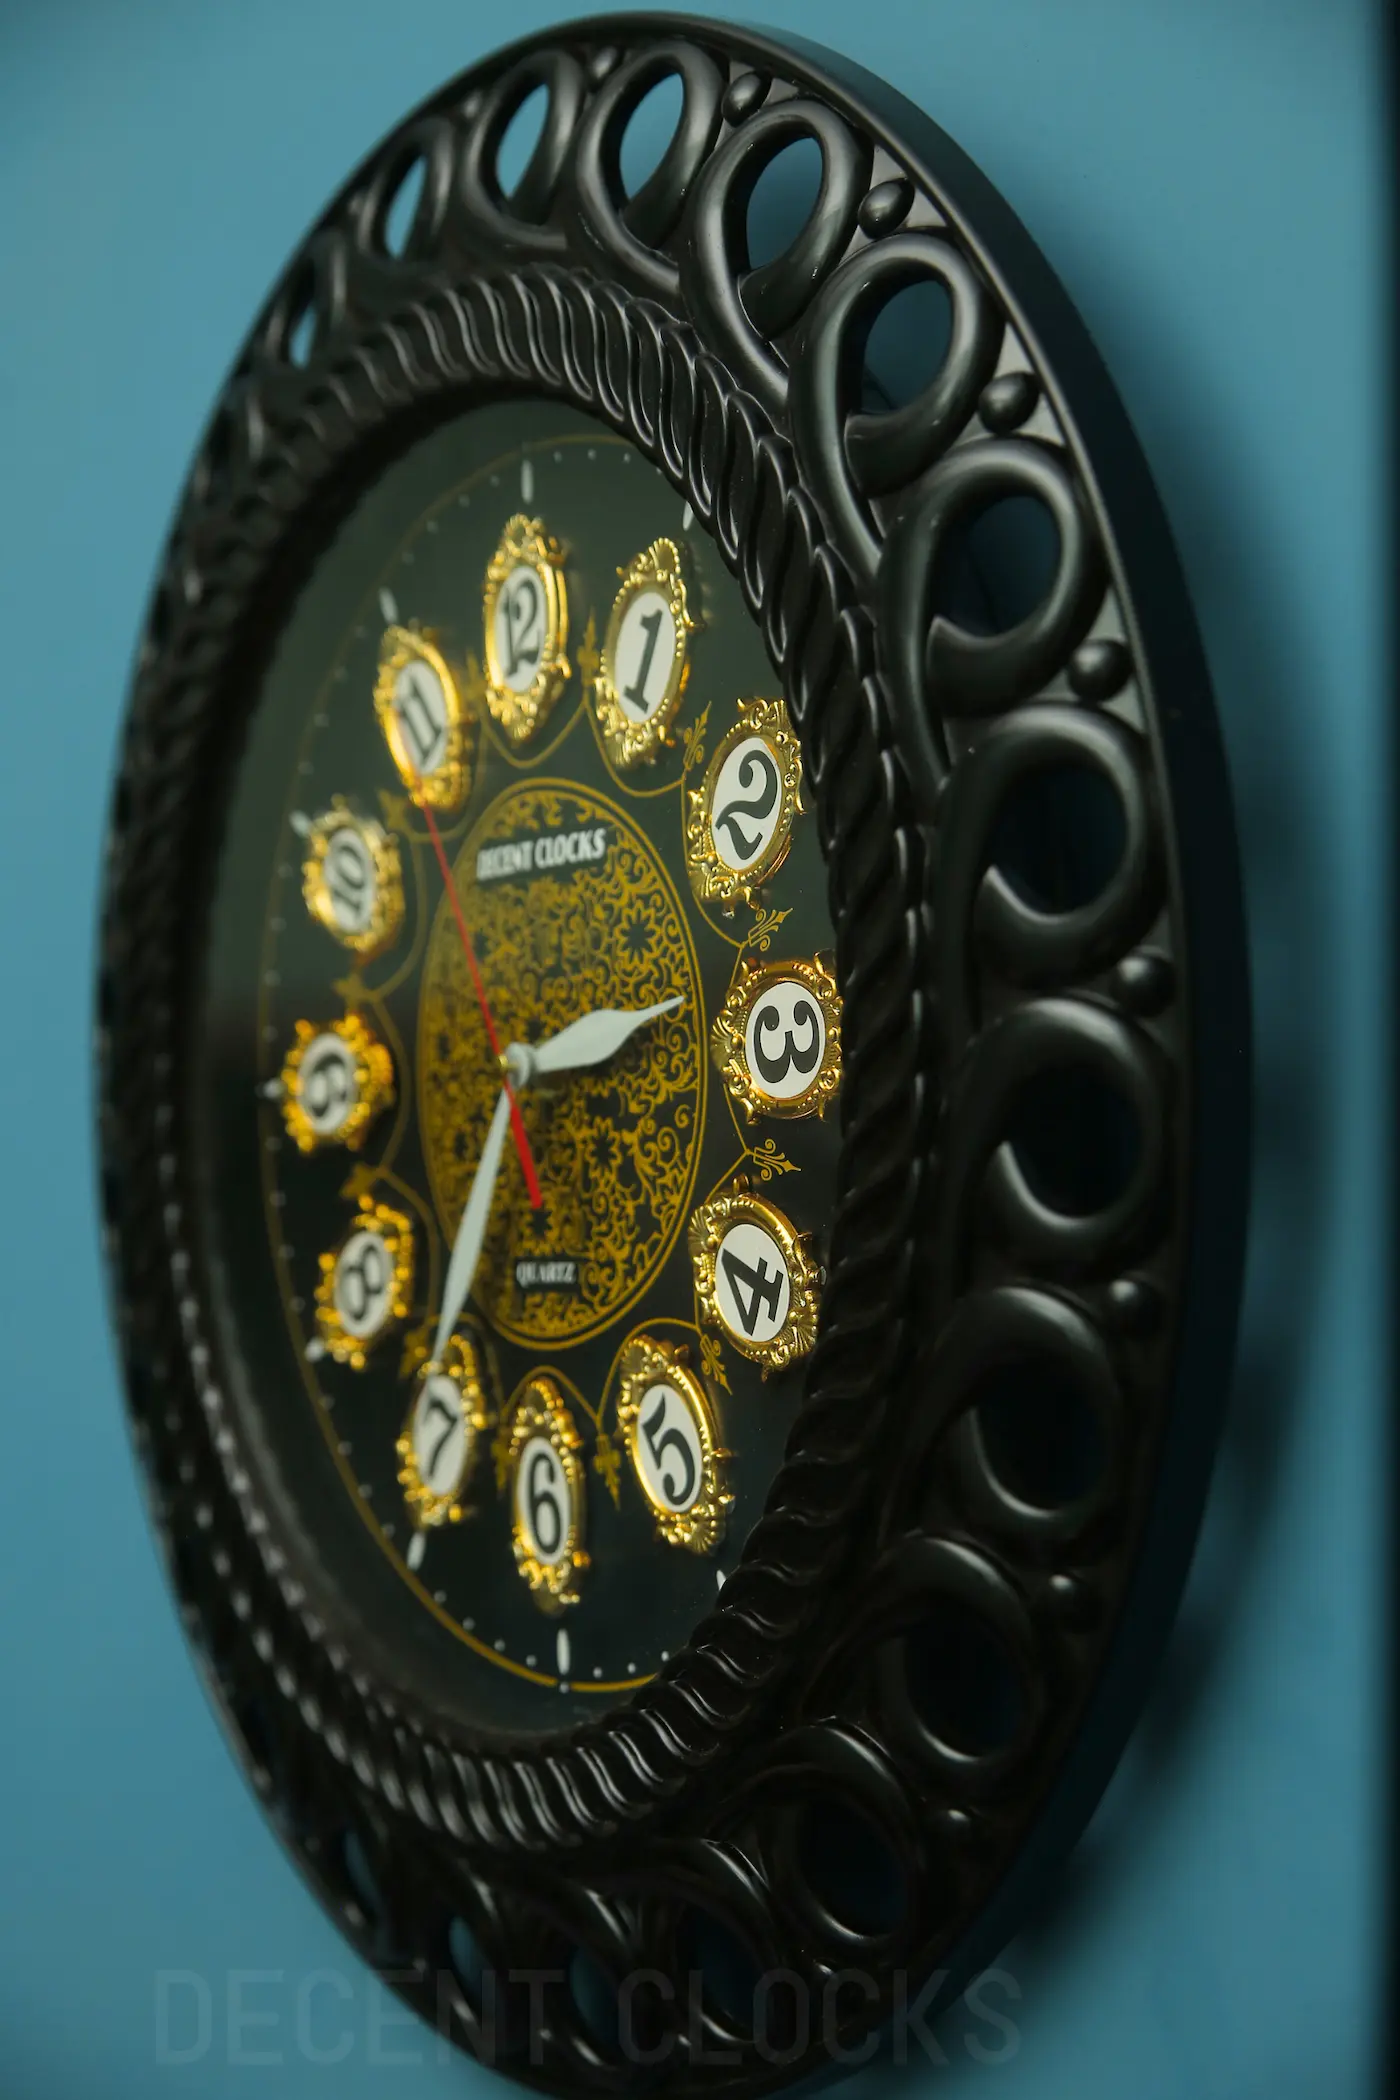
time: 2:35
